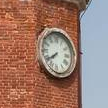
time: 7:39
